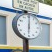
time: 6:00
